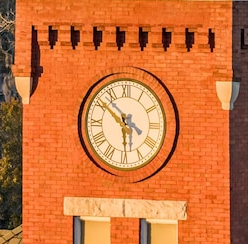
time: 5:51
